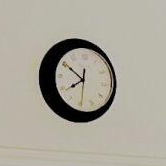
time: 7:50
